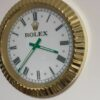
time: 3:36
